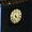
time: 4:35
